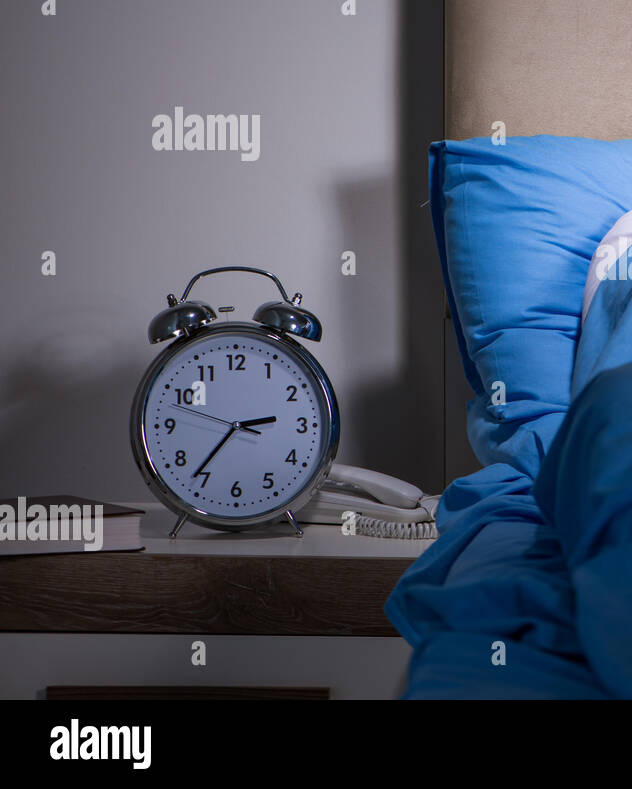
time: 2:36
